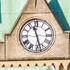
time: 11:27
